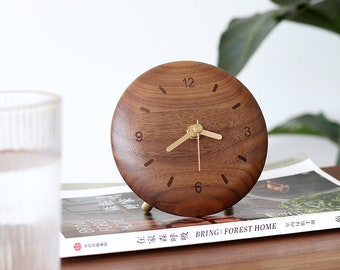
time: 3:39
